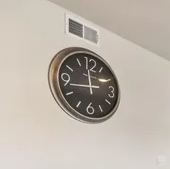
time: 11:43
